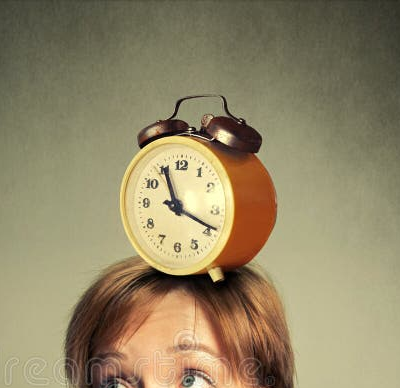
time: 11:18
